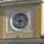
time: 6:13
